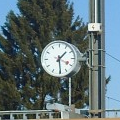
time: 1:29
